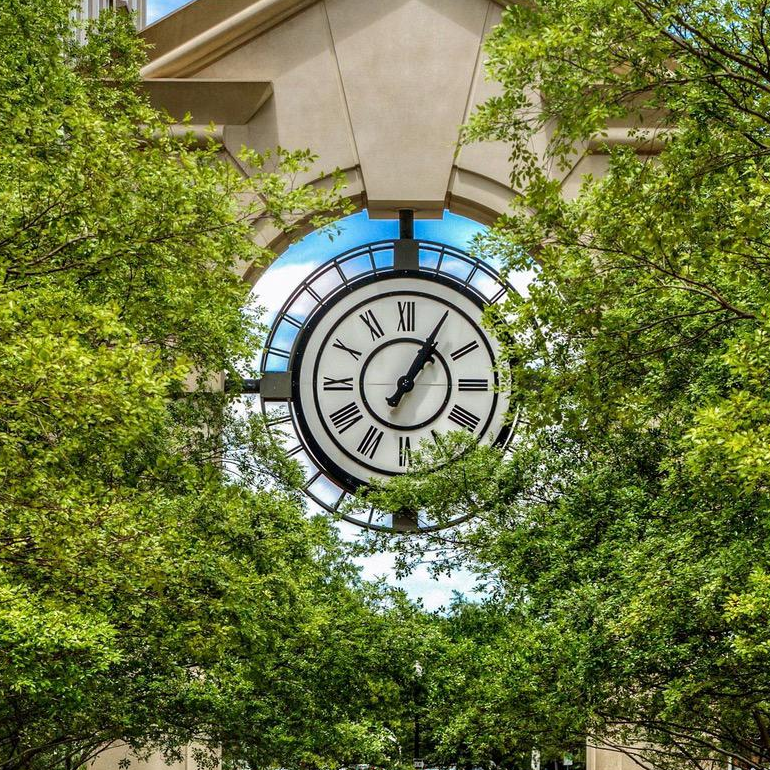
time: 1:05
